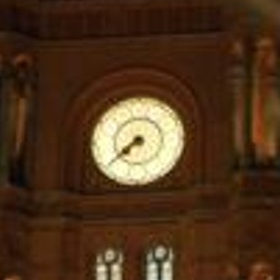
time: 7:38
